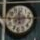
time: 12:13
